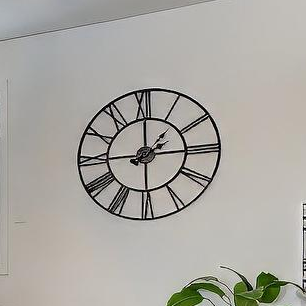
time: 2:00
